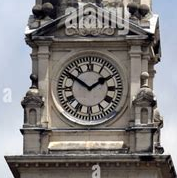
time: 1:50
